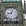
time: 9:03
